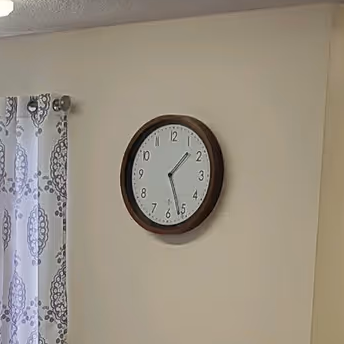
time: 1:26
